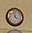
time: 11:21
